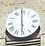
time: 5:59
